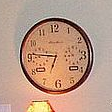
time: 6:46
